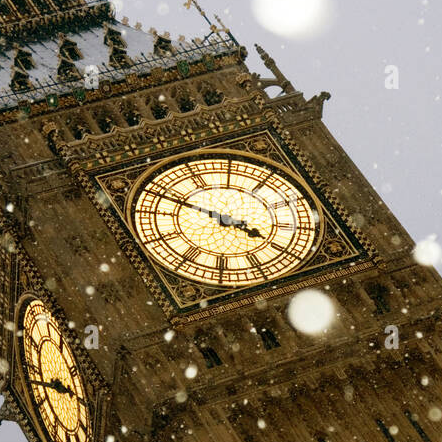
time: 3:48
